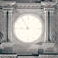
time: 8:54
